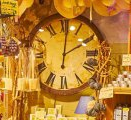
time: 2:01
